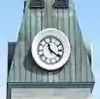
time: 11:20
